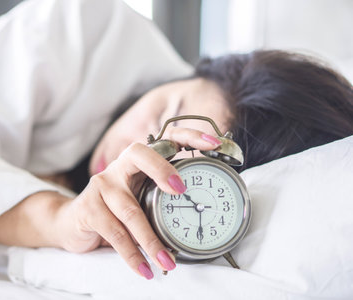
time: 10:29
